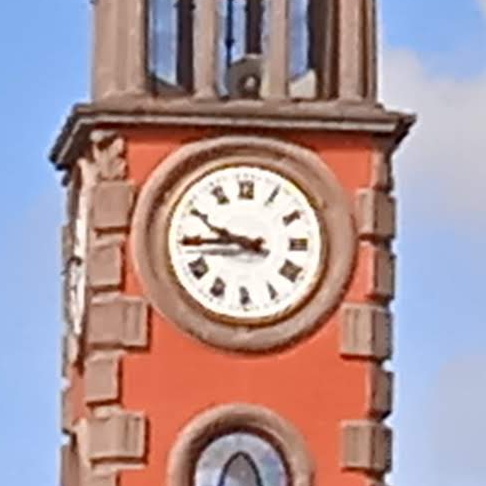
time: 9:44
